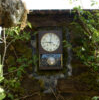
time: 9:01
